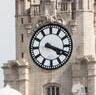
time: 4:18
